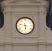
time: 5:47
